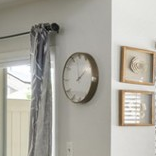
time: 1:59
